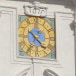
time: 4:35
